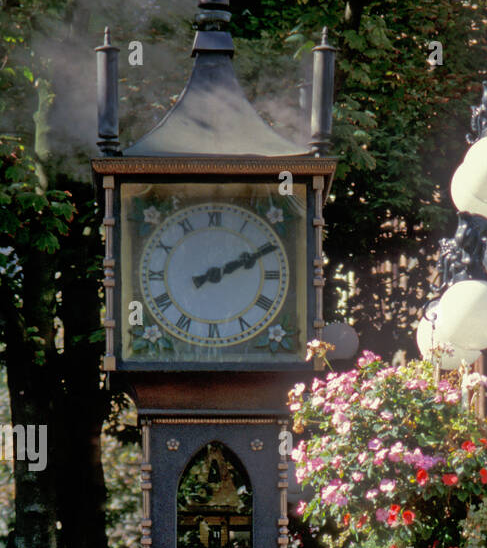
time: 2:10
